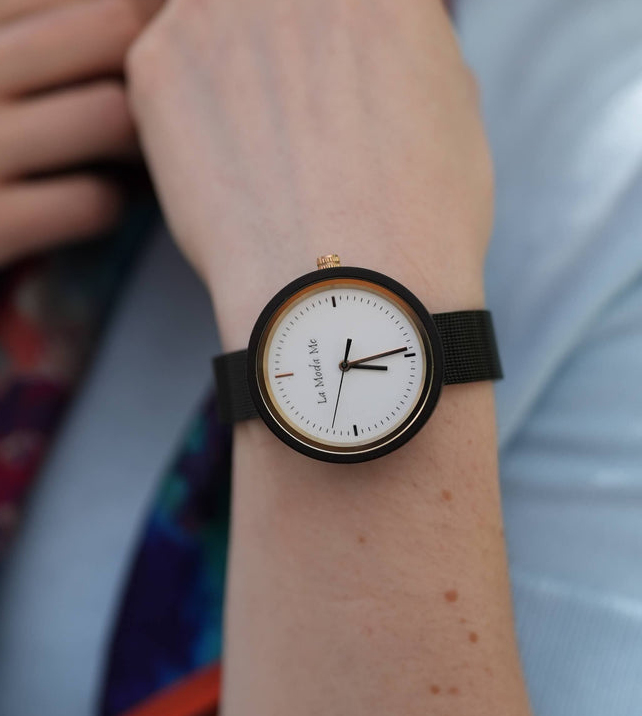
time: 3:13
